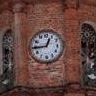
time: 12:44
